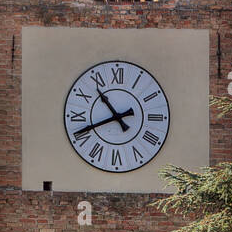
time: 10:41
